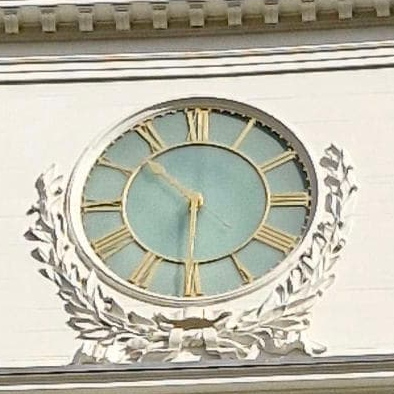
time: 10:30
